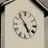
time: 4:53
